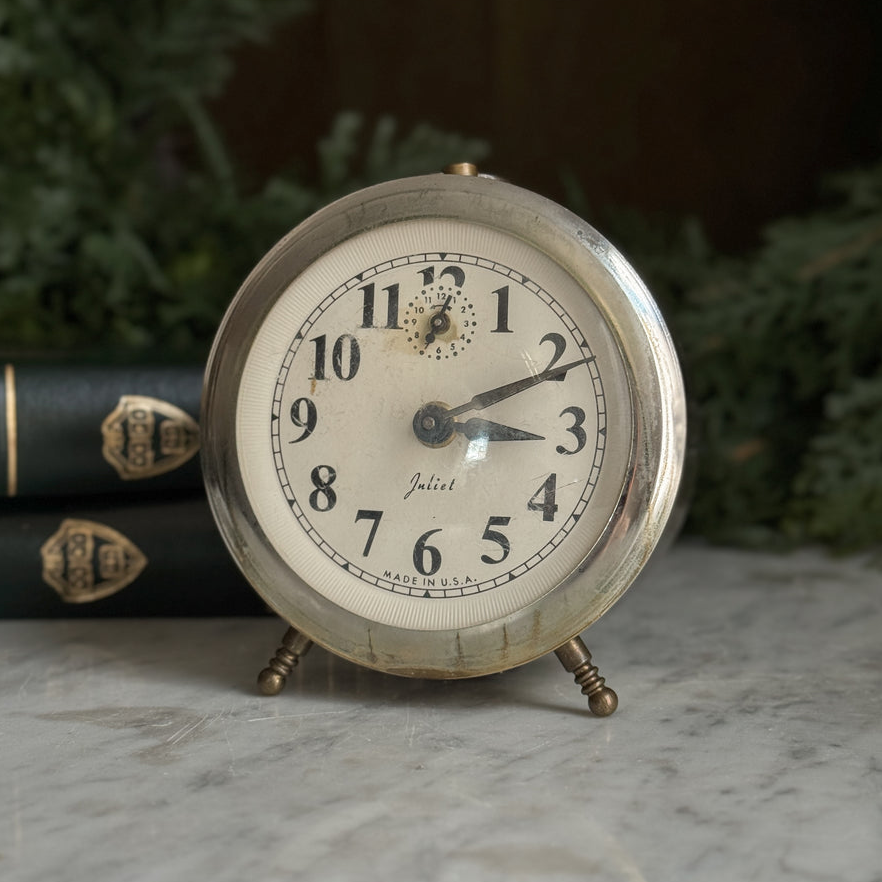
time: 3:10
